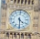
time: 4:29
